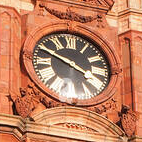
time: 3:48
